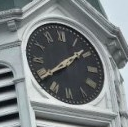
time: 1:39
